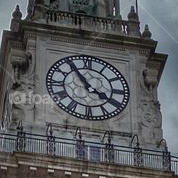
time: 3:54
